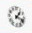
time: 1:18
